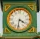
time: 4:31
